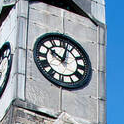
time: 10:02
